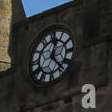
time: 12:23
